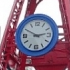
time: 2:49
